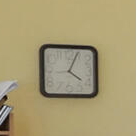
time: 4:04
